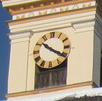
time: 10:20
